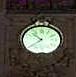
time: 10:38
